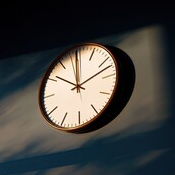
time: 10:11
